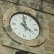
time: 3:58
